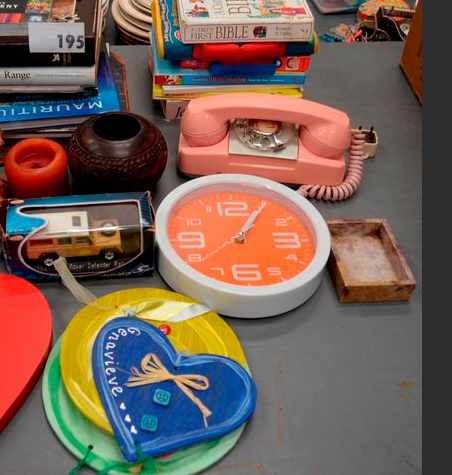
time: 1:05
